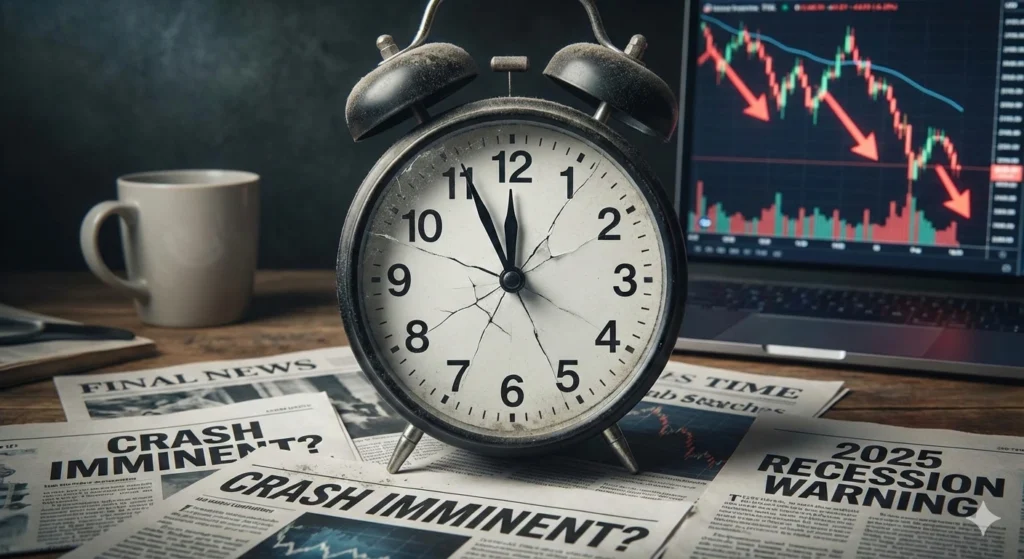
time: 11:55
